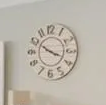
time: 3:49
